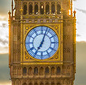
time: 7:03
